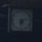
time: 6:12
